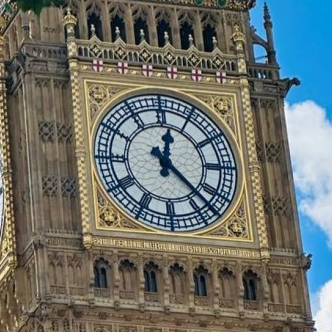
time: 12:22
